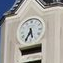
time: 5:35
